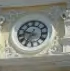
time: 9:35
